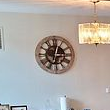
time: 12:33
